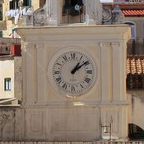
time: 1:09
